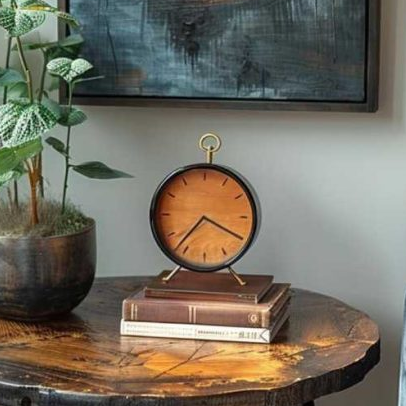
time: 7:19
